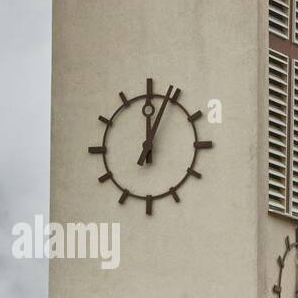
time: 12:04
